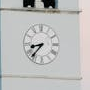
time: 8:37
